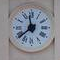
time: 11:38
